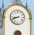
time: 8:41
